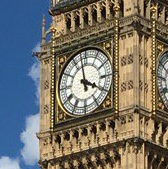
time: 3:58
